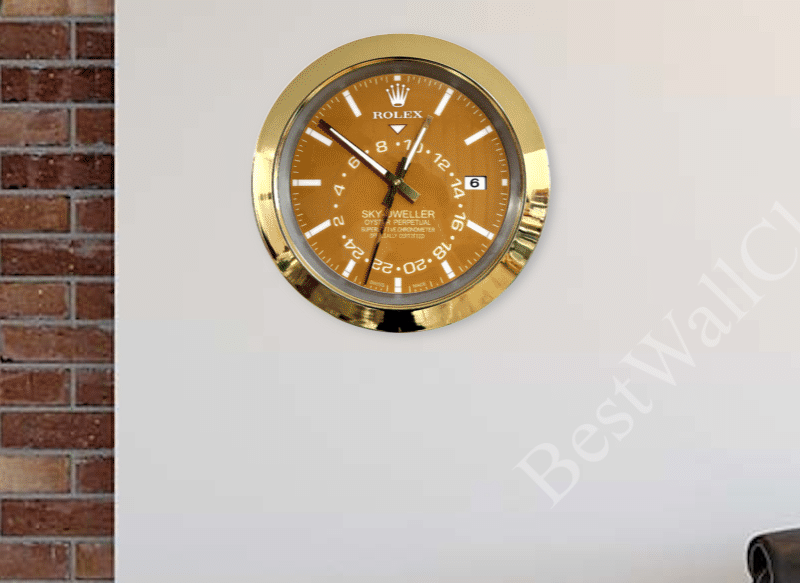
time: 12:51
